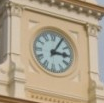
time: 3:04
